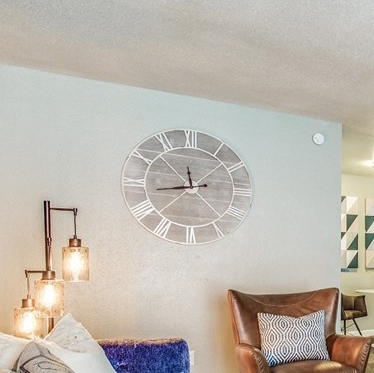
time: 11:43
